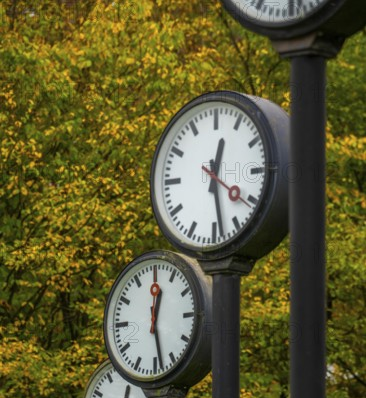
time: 12:28
